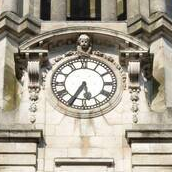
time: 5:34
